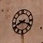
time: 8:18
